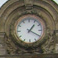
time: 1:20
